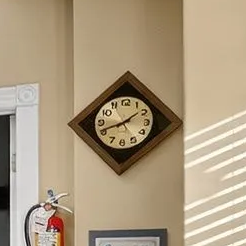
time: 1:42
